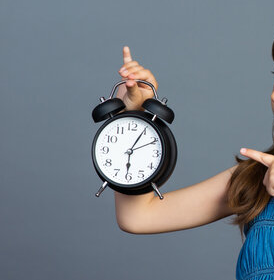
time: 6:05
